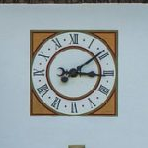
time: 3:09
